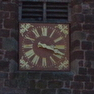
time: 3:18
